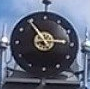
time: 2:54
